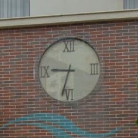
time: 9:32
